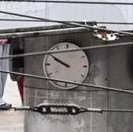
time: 9:50
